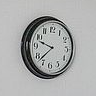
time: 9:37
